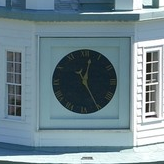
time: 12:25
